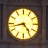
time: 4:42
